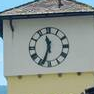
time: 11:33
